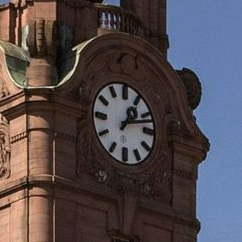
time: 1:12
